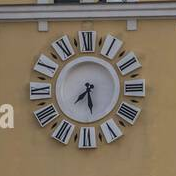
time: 7:28
